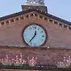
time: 12:36
